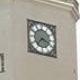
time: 7:18
